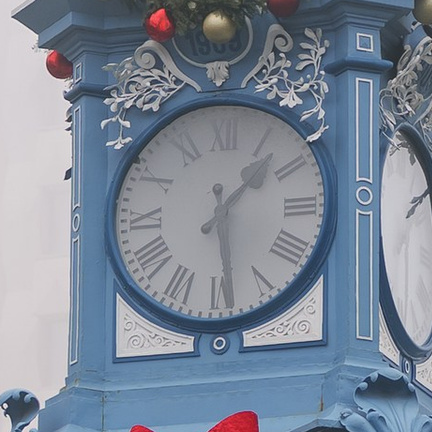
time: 1:28
